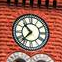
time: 10:37
